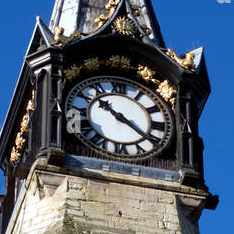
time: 10:21
